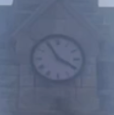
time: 3:55
